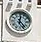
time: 12:23
